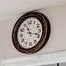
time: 11:18
